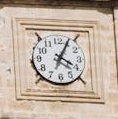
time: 4:04
